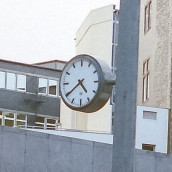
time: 4:39
